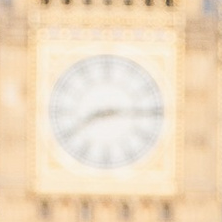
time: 8:14
